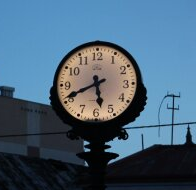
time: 5:41
